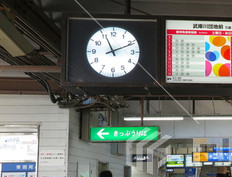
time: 11:10
